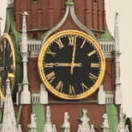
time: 9:01
